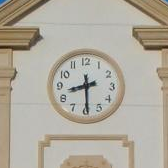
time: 8:29
